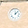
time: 12:07
